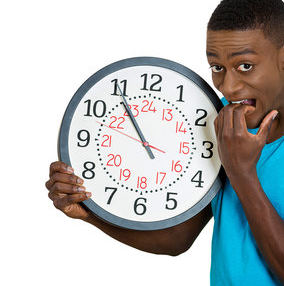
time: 10:54
